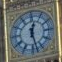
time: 12:27
